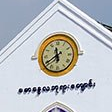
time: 11:40
